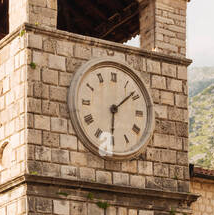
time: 6:08
